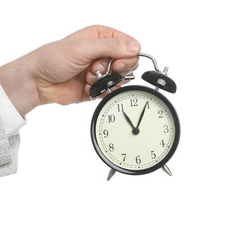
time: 11:04
